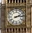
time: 2:14
